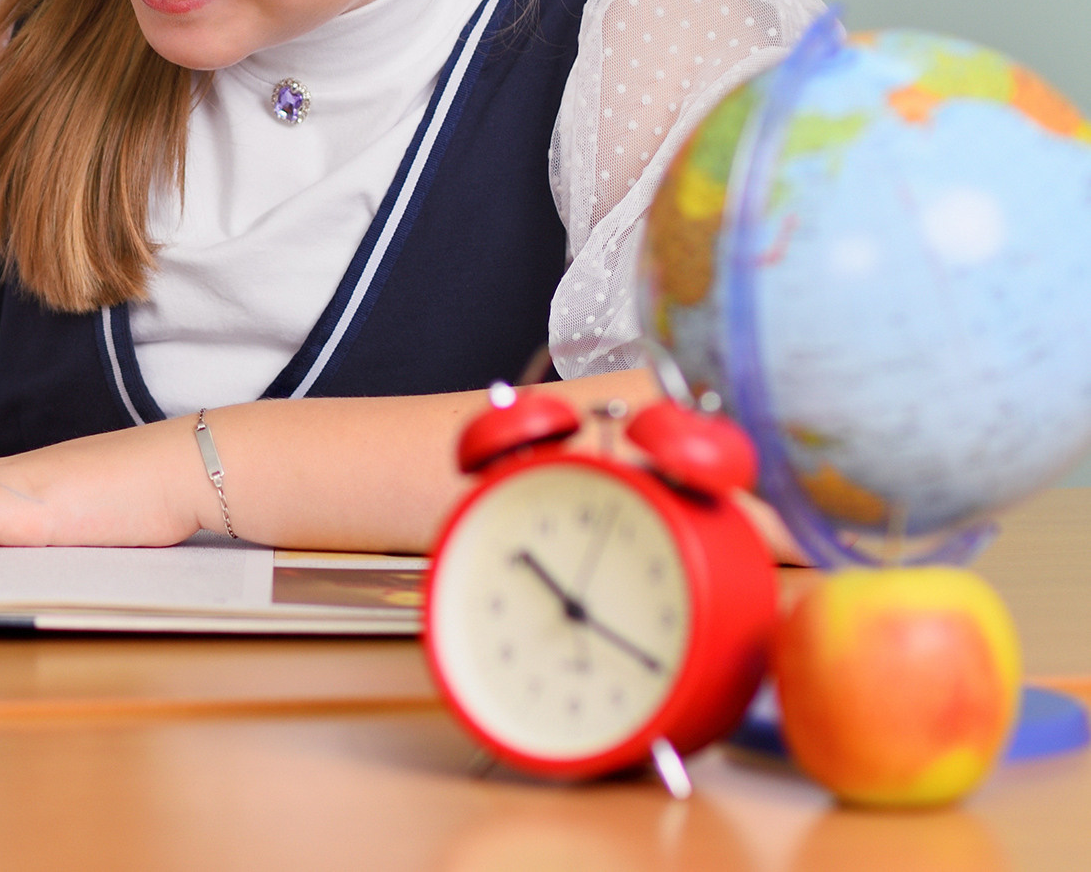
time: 10:19
